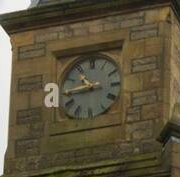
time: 10:43
